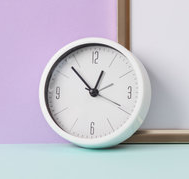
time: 12:53
